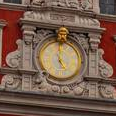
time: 4:59
